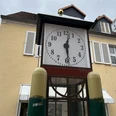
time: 12:28
